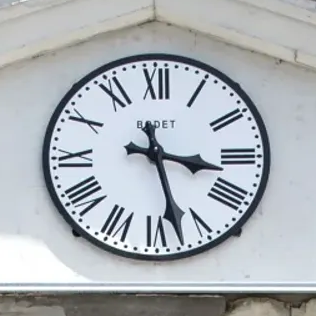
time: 3:27
